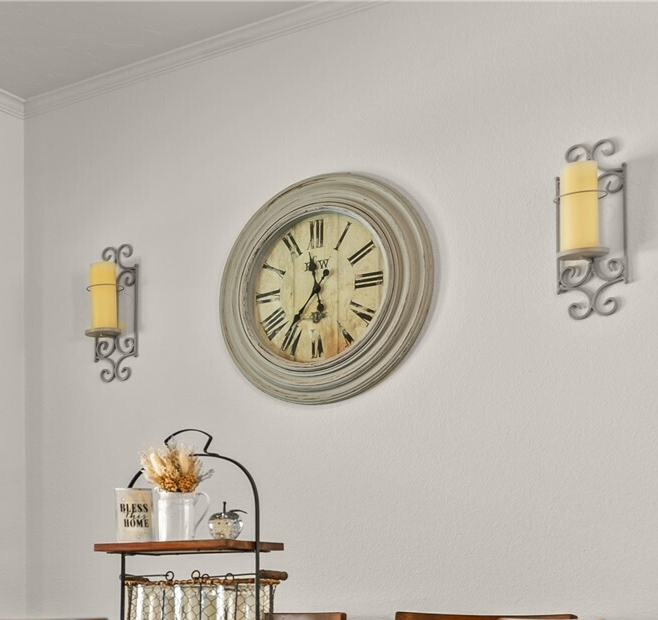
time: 11:36
